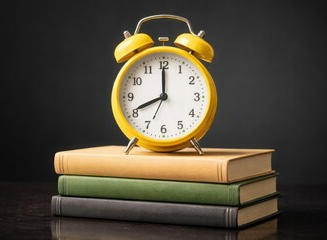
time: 8:00
